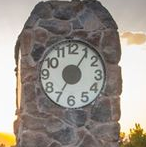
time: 7:05
